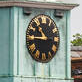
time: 10:45
